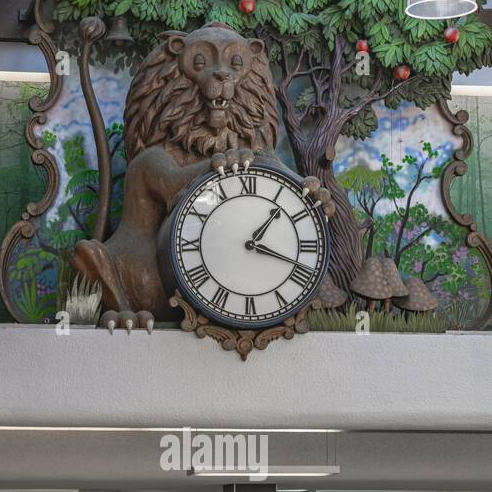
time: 1:18
